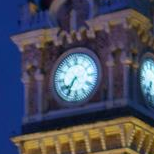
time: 7:35
